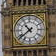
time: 10:38
